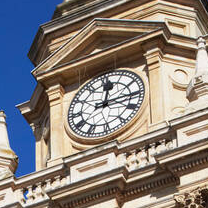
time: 12:14
